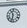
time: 11:32
